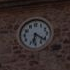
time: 6:21
